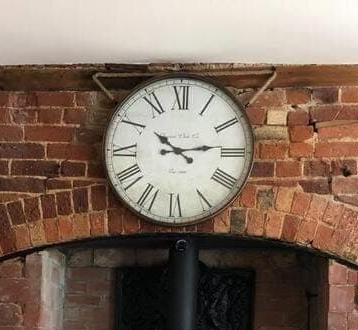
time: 10:13
